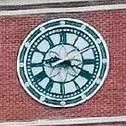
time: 8:18
